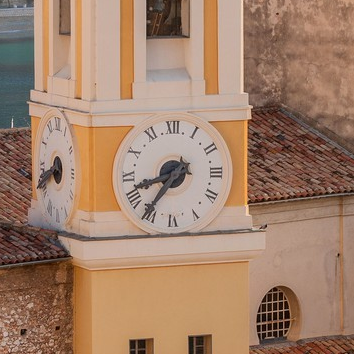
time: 8:36
